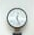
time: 12:26
